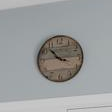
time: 10:45
